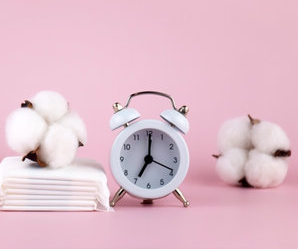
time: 7:00
